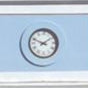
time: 1:48
